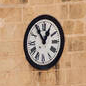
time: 12:54
